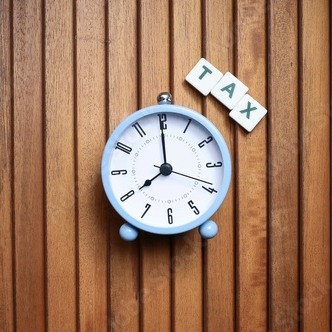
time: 7:59
